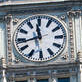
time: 11:42
